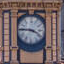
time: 3:45
